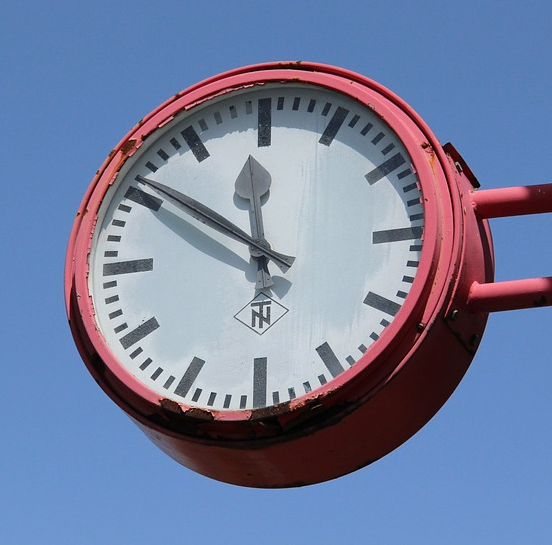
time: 11:50
